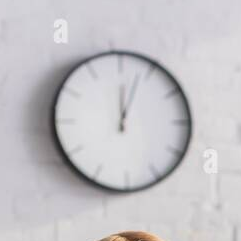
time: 12:03
